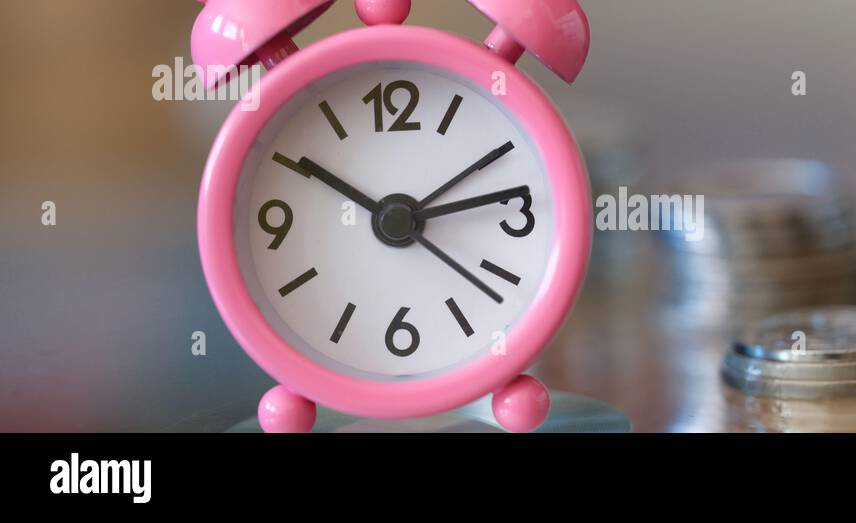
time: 10:13
